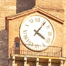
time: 4:06
